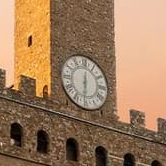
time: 6:30
